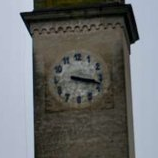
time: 3:17
